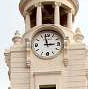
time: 2:58
